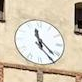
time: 11:22
